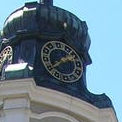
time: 1:39
